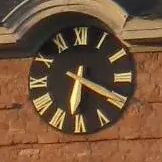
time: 6:19
